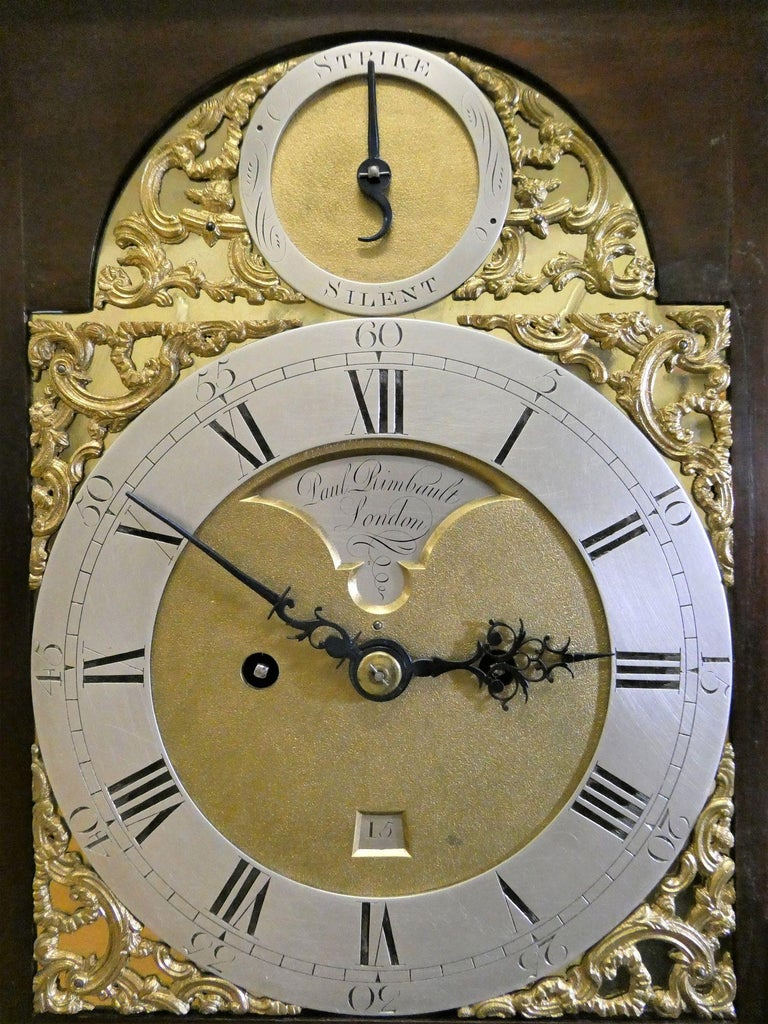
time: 2:50
